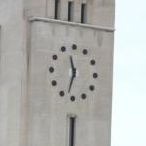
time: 11:32
